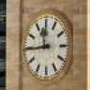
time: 11:44
